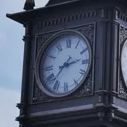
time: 2:37
